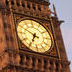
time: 6:49
